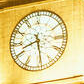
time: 8:29
